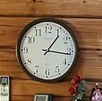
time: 1:16
